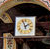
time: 1:56
